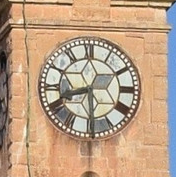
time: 8:29
